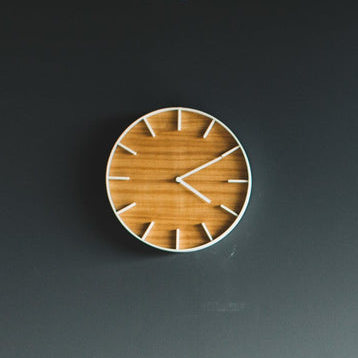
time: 4:10
